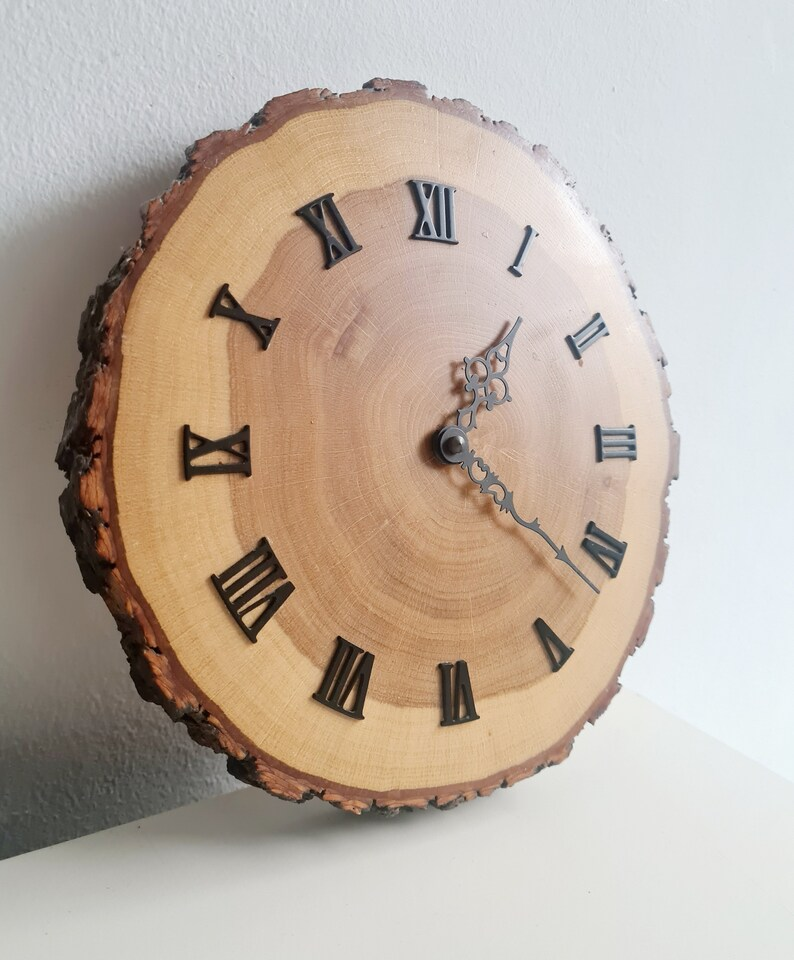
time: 1:21
